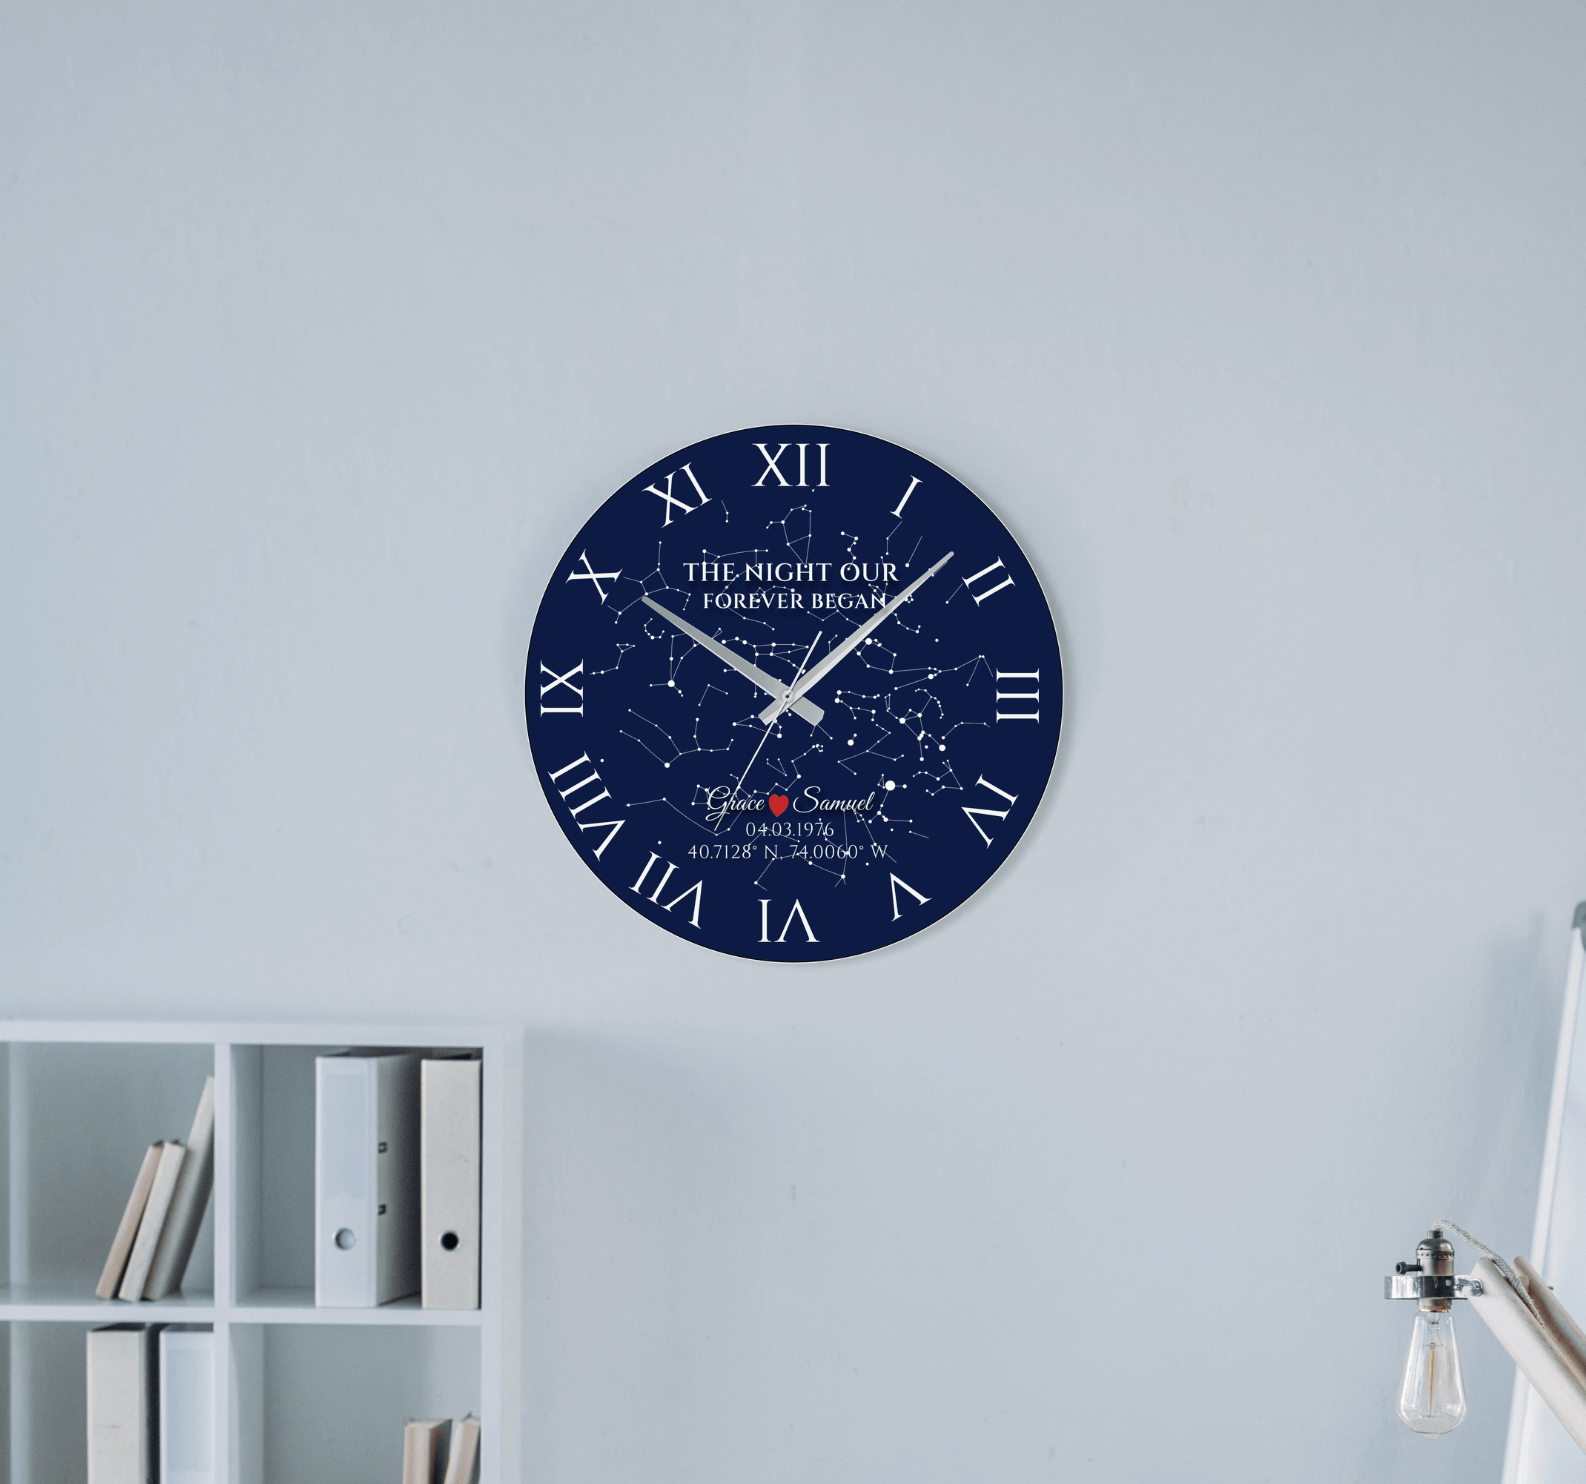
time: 10:07
